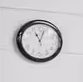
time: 11:03
